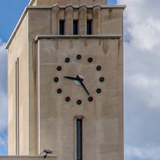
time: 9:24
